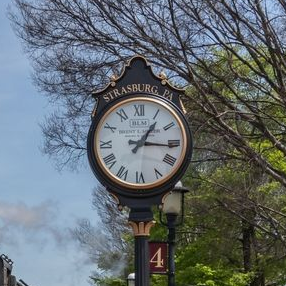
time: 1:16
